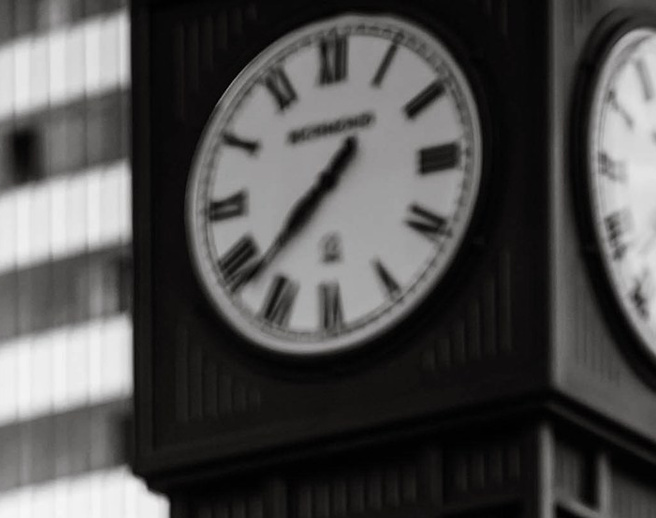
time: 7:37
